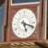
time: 5:18
